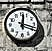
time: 12:18
